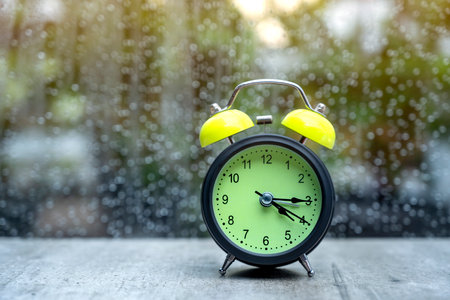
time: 4:15
